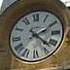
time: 2:22
